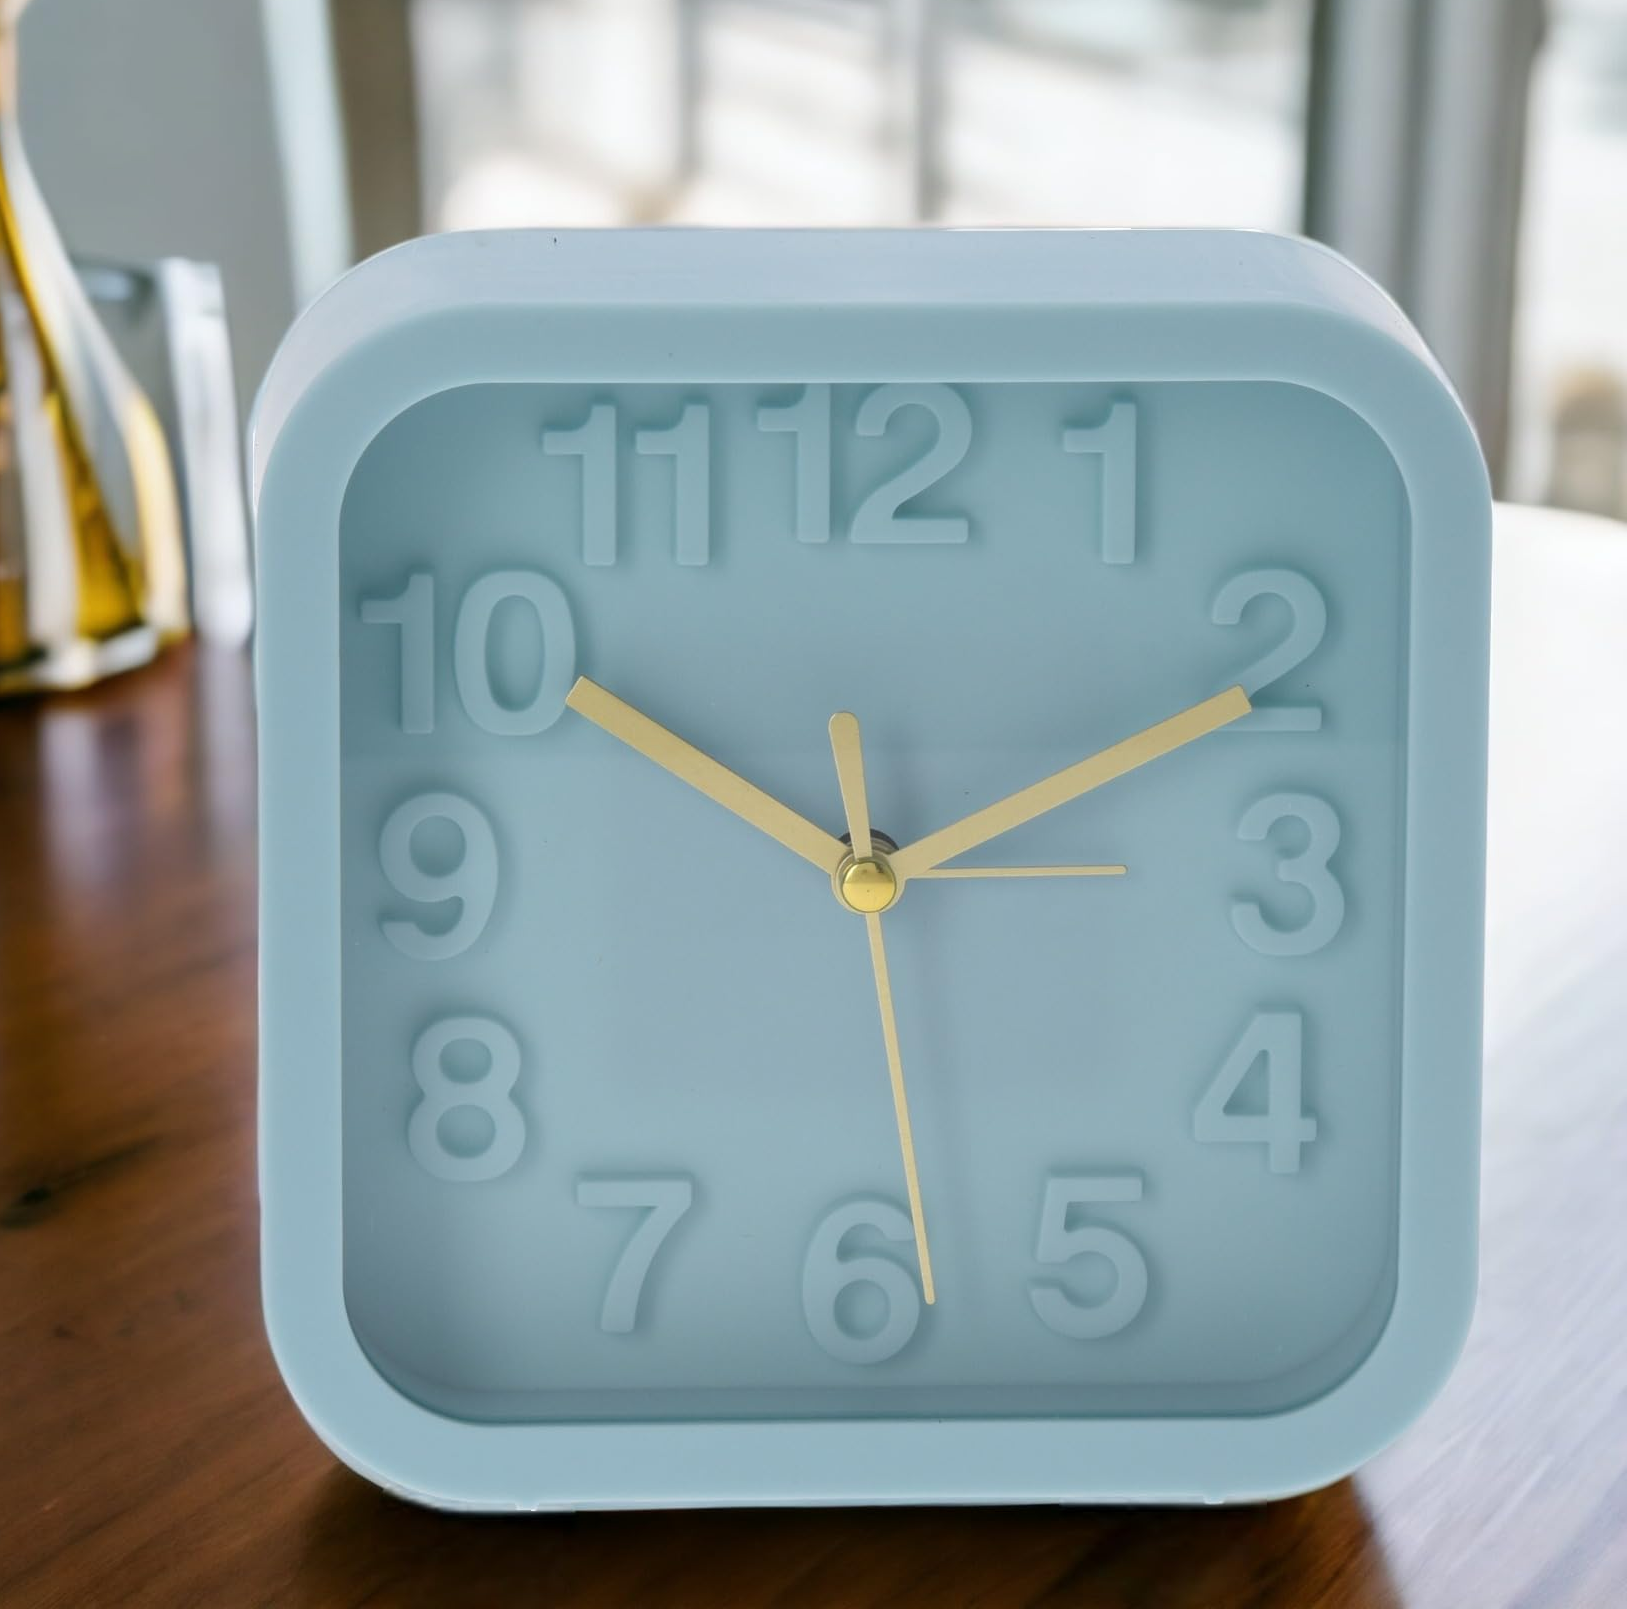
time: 10:10
